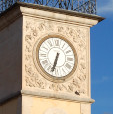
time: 6:33
